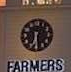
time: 6:29
